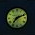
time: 7:11
